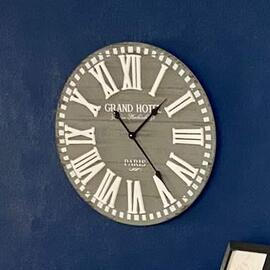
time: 1:23
